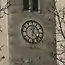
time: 12:23
